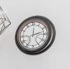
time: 12:12
